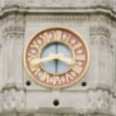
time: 6:18
